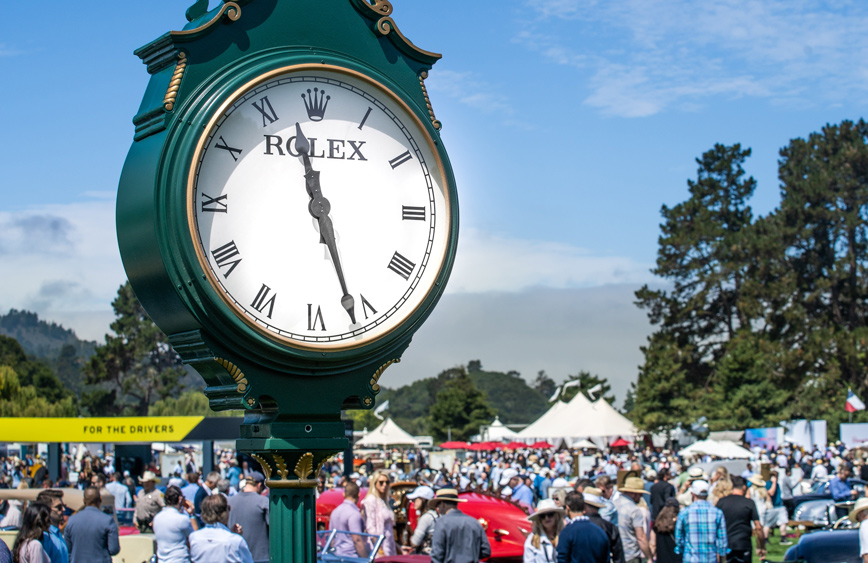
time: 11:26
